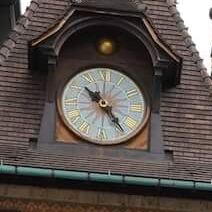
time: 10:23
